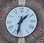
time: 1:32
